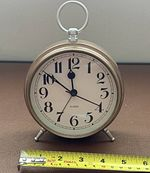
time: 11:50
